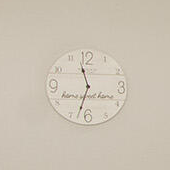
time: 11:33
